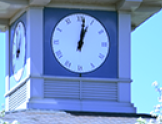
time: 1:01
